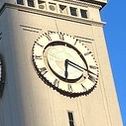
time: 6:18
